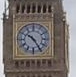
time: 10:24
